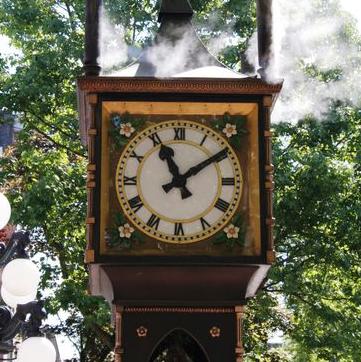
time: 11:09
